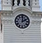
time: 2:00
